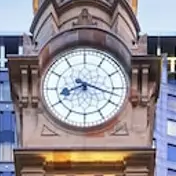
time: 8:17
